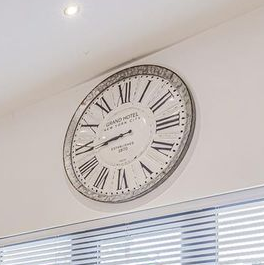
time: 8:43
